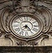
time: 7:24
